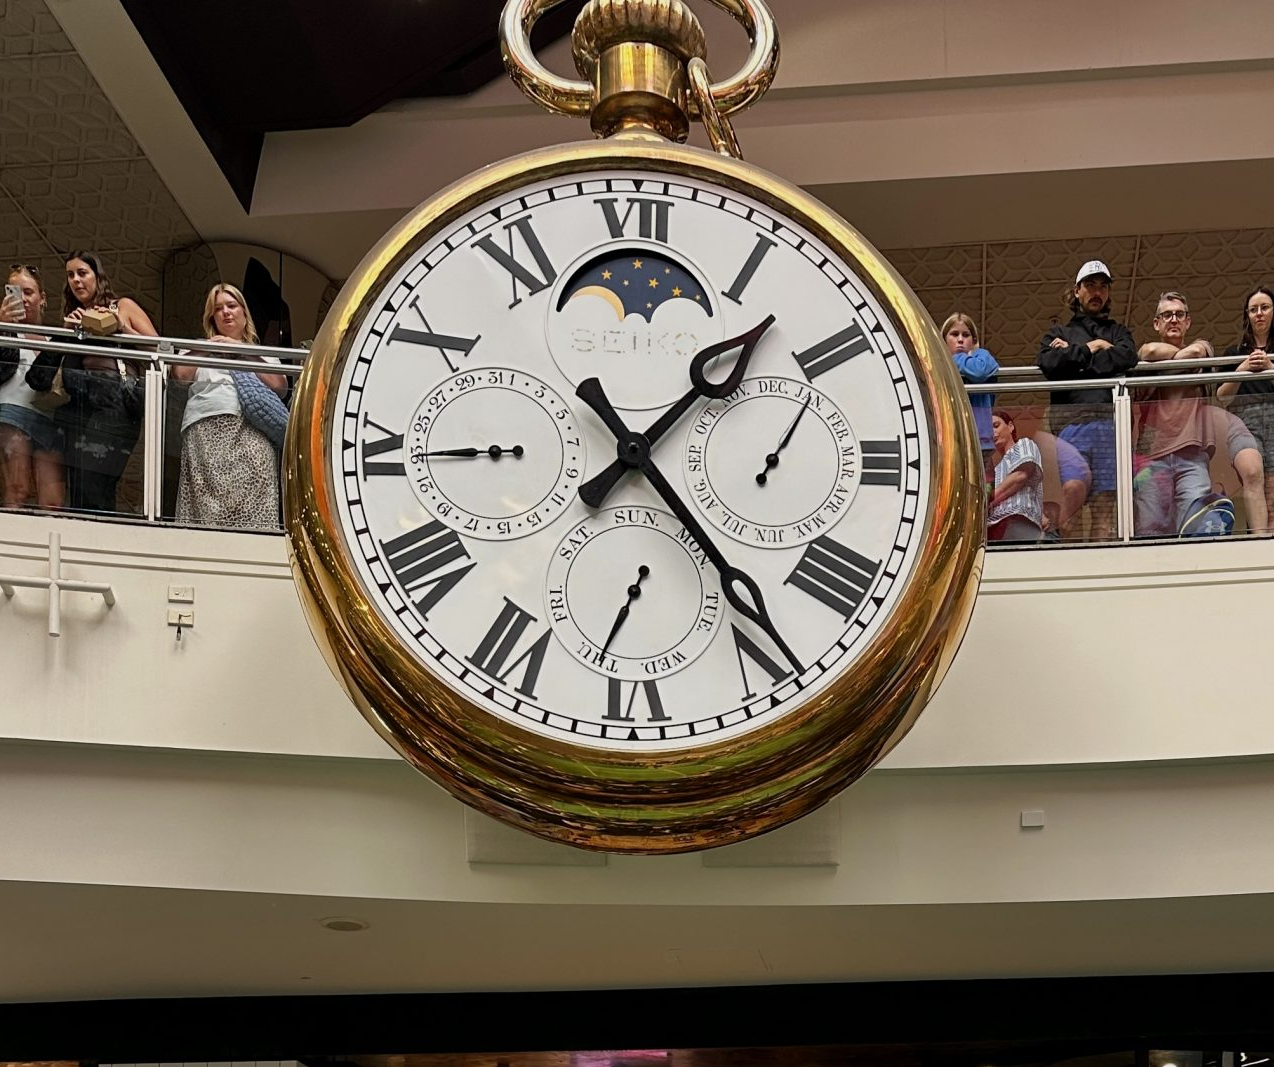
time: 1:23
